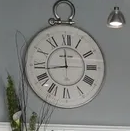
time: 11:43
